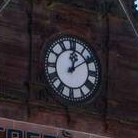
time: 12:09
